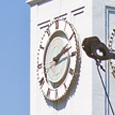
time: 2:12
